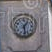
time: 1:28
